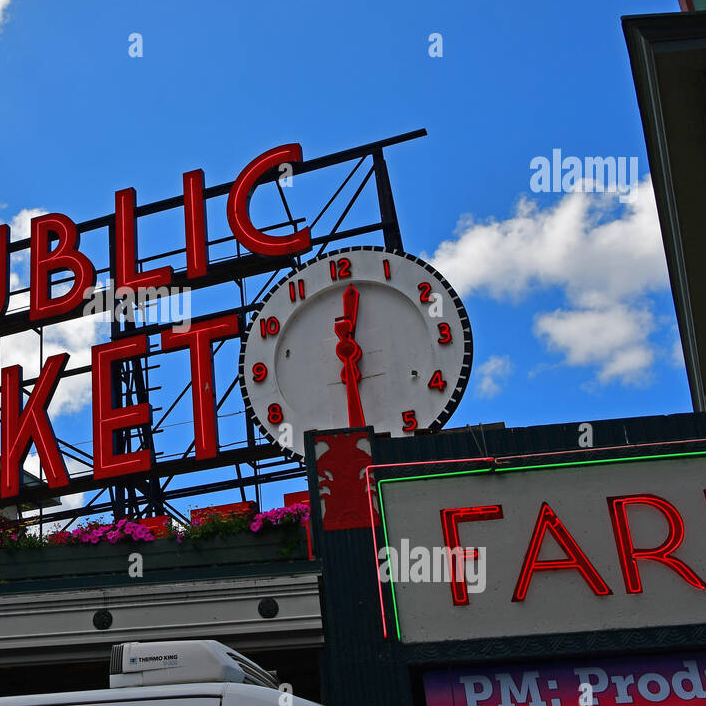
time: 12:30
